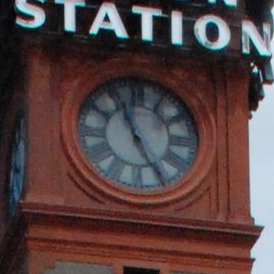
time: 4:56
